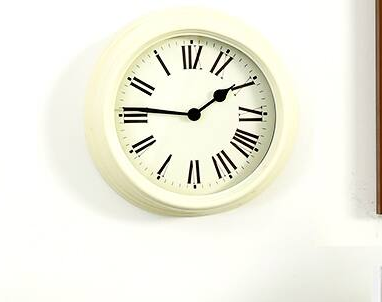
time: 1:46
